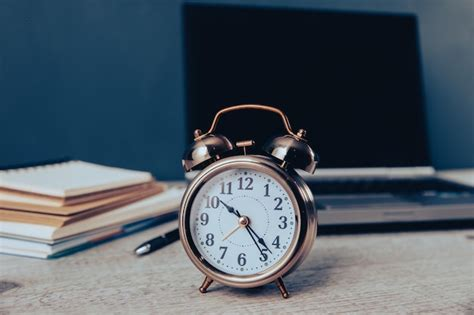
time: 10:23
